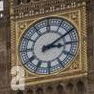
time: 3:10
